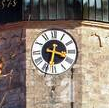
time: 3:32
